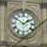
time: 1:50
